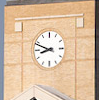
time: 8:48
